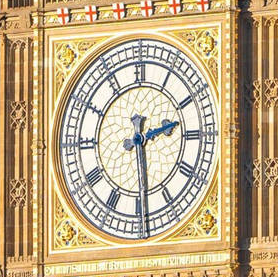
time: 2:28
